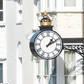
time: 1:10
